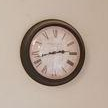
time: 2:42
